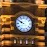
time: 9:50
